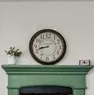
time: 8:42
